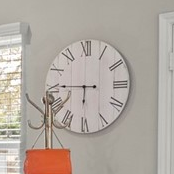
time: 5:45
